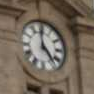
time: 4:59
